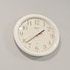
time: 1:38
